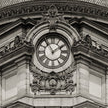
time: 1:54
